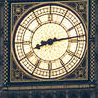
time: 8:13
